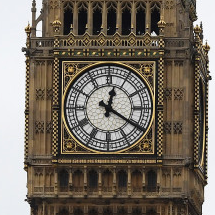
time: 12:20
